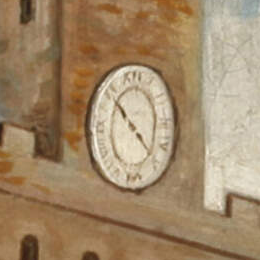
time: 10:22
